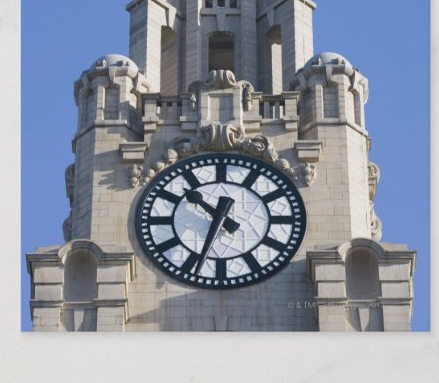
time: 10:34
